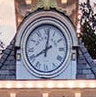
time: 8:01
